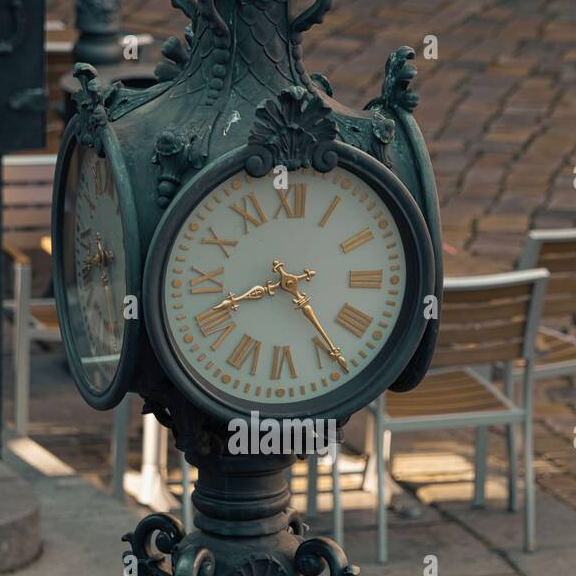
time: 4:41
